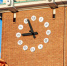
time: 8:56
